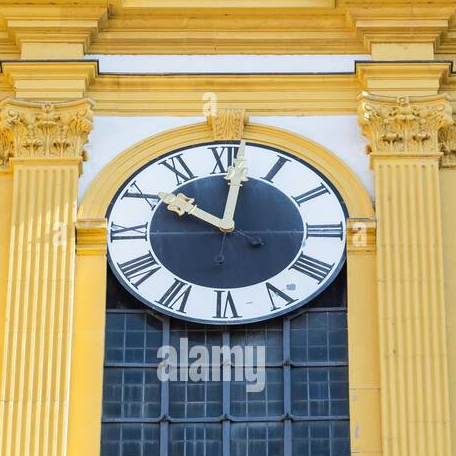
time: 10:01
